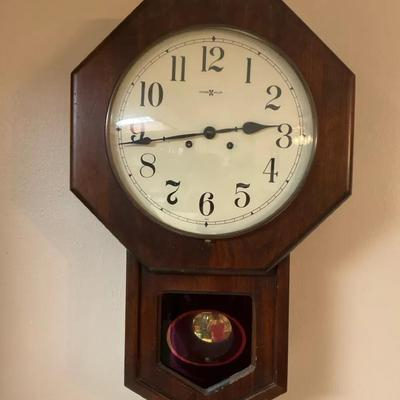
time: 2:43
